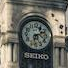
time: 6:11
